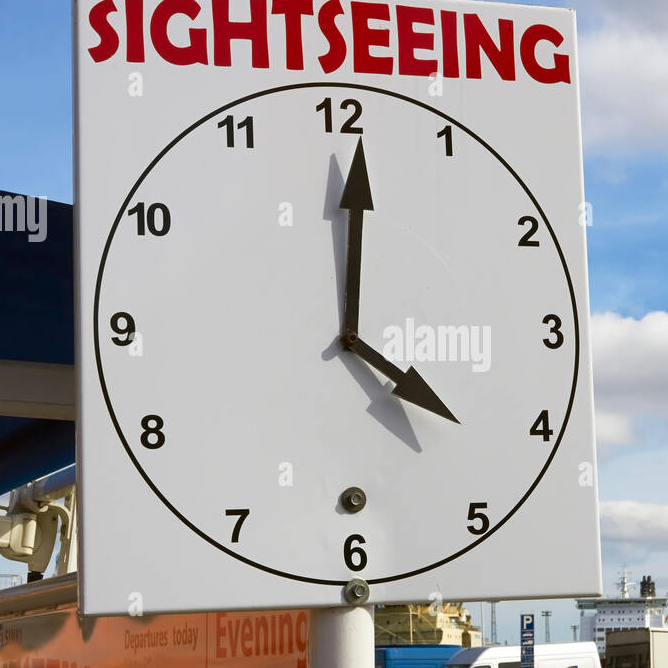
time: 4:00
